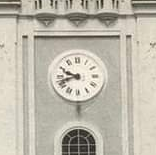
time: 9:42
